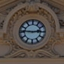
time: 2:46
